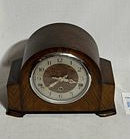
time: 7:18
